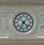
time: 4:33
